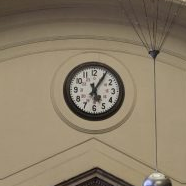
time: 5:05
